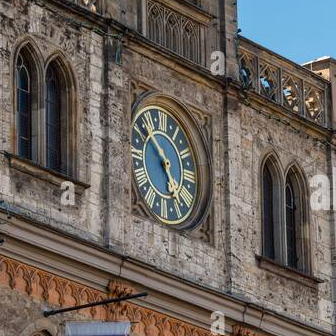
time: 4:52
